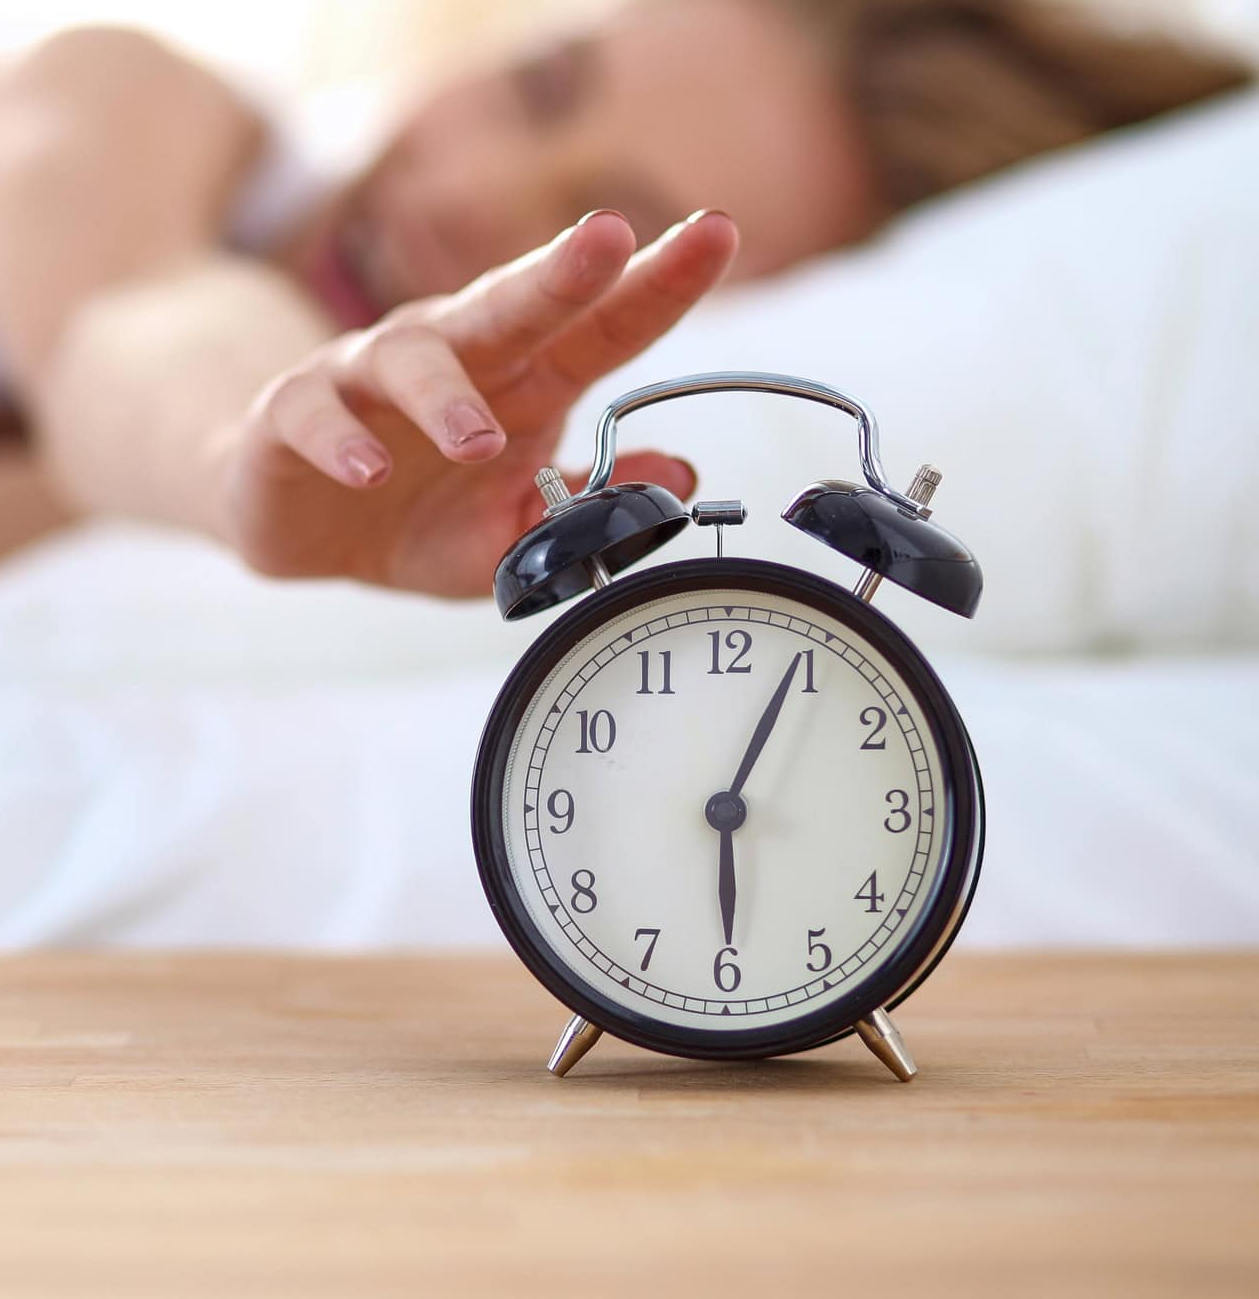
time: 6:04
